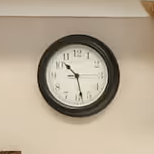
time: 10:28
